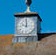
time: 10:00
